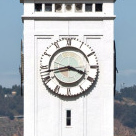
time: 3:43
